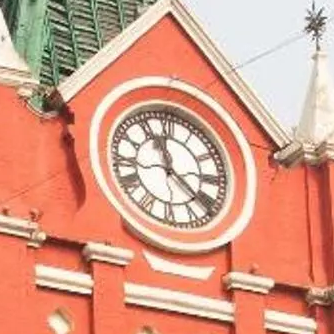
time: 11:21
